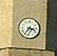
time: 3:35
